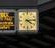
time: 4:13
